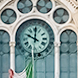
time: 10:00
